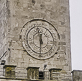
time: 11:30
